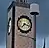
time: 7:17
